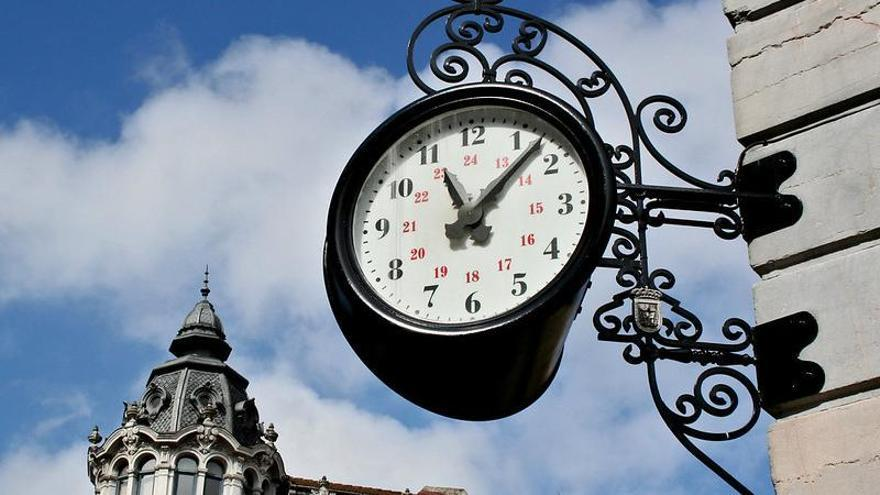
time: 11:07
